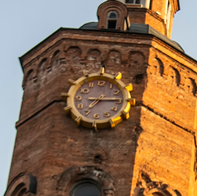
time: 7:14
